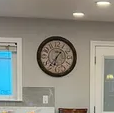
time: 6:36
